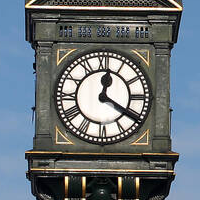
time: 12:20
